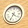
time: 4:34
